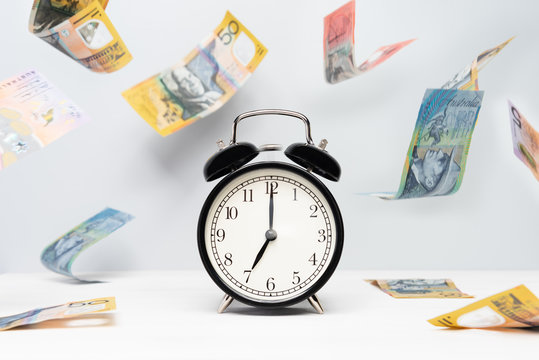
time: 7:00
